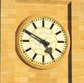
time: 4:49
